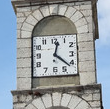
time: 12:21
